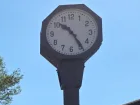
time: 10:24
